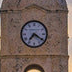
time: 7:20
